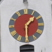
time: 1:30
